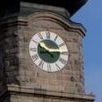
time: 10:14
